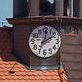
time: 2:01
